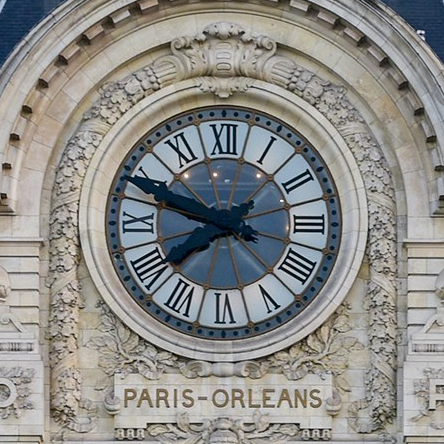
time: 7:48
